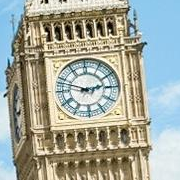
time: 2:48
